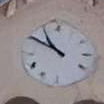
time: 10:50
